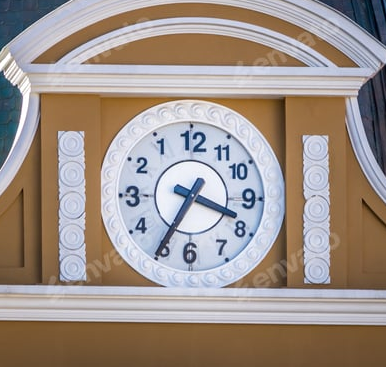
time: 3:35
